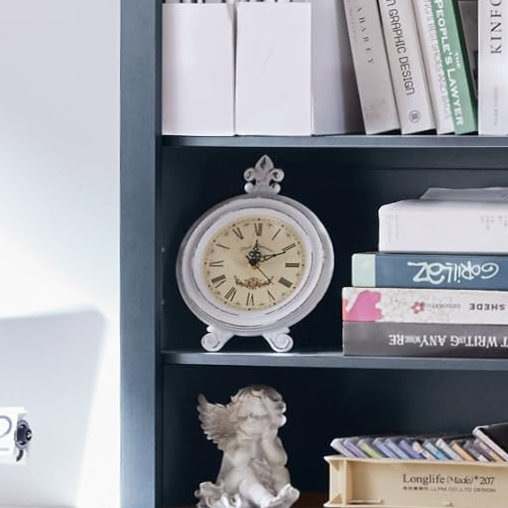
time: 12:10
